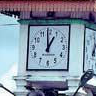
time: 12:59
